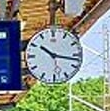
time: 10:17
